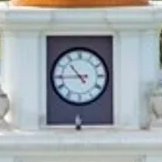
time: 10:44
